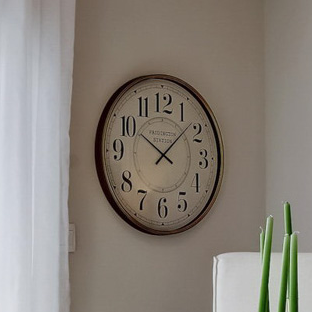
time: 10:07
